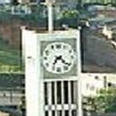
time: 7:21
